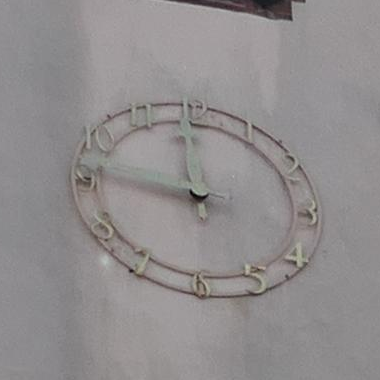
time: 11:46
